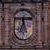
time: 6:58
